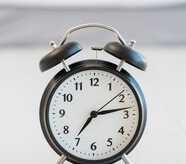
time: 7:13
